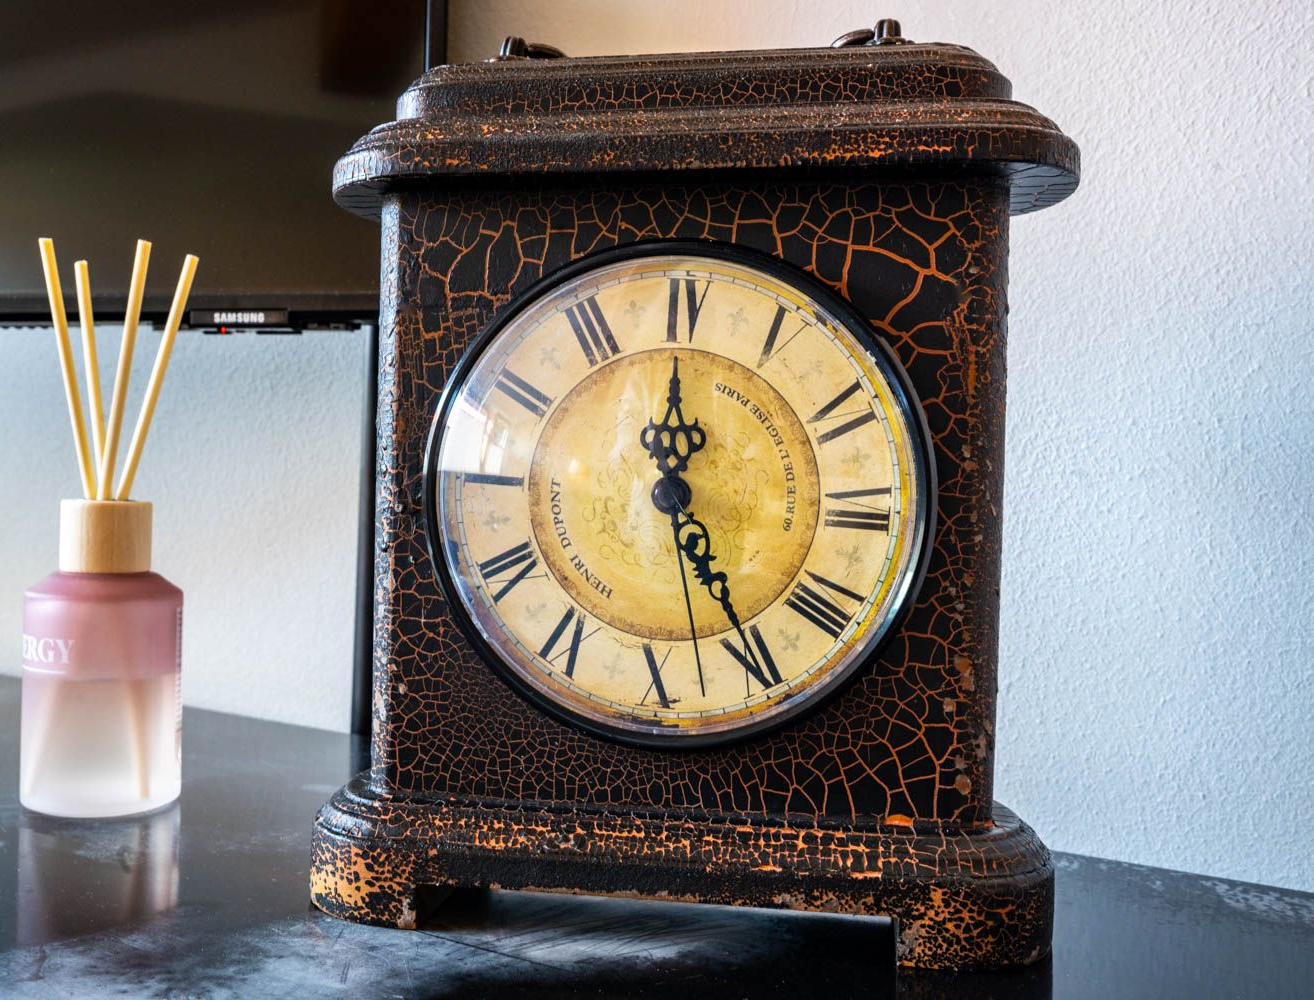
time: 4:59
